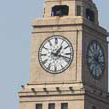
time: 1:17
